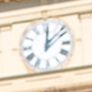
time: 12:07
